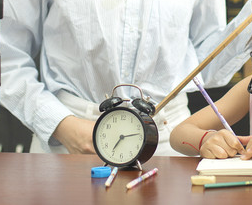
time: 7:13
